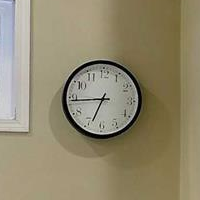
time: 6:44
